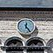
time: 12:23
